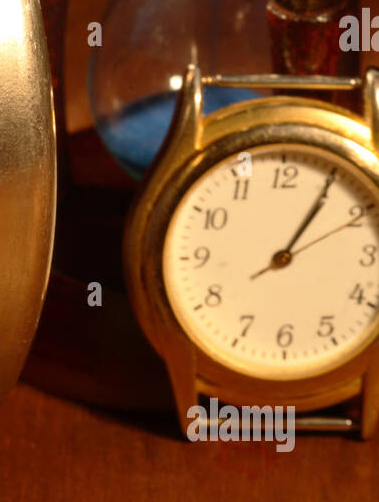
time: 1:05
